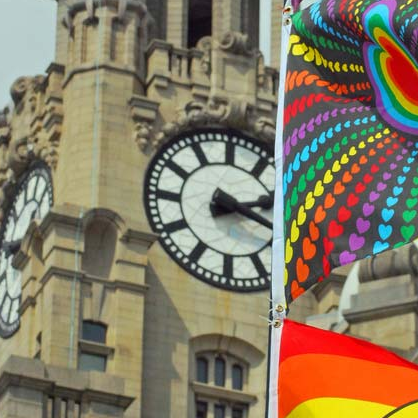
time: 2:18
